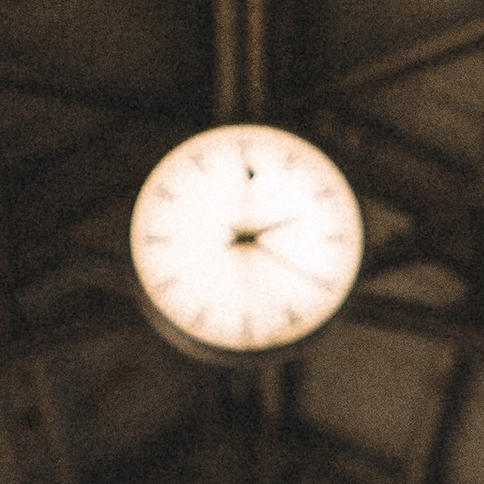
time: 2:01
